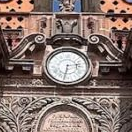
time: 2:32
